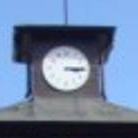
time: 3:14
